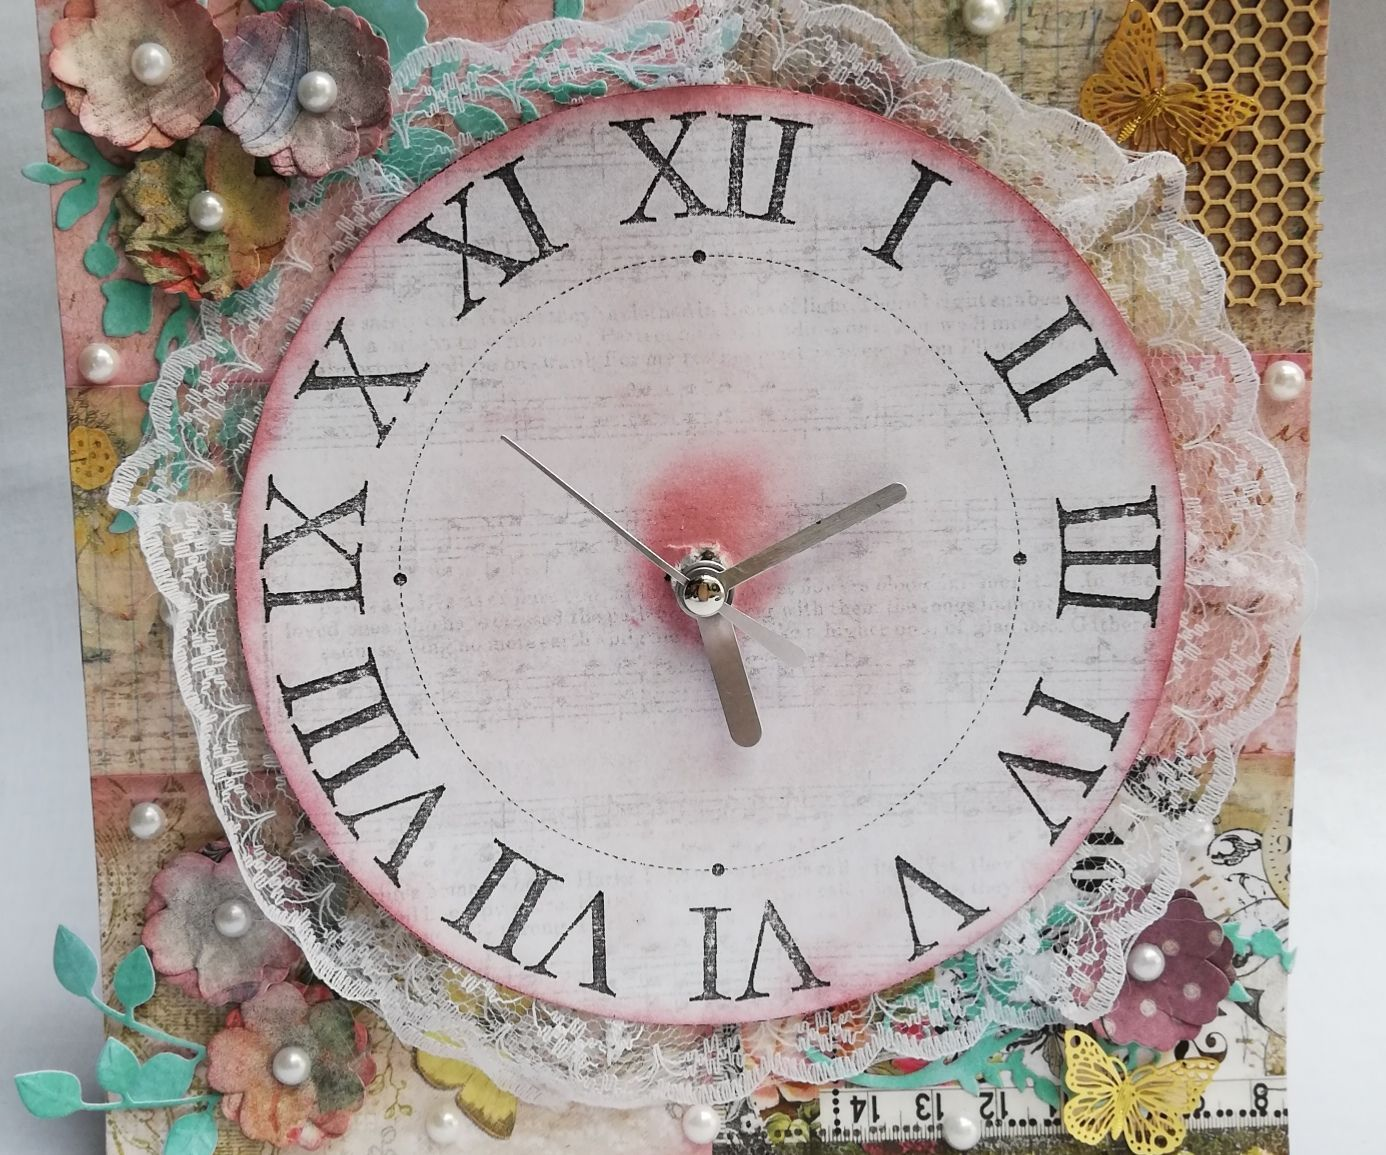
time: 5:11
